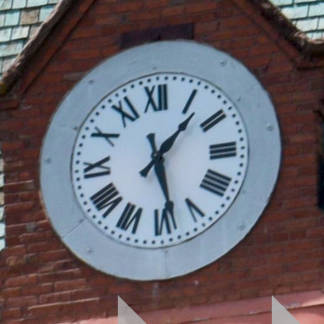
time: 1:28
